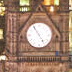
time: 4:54
